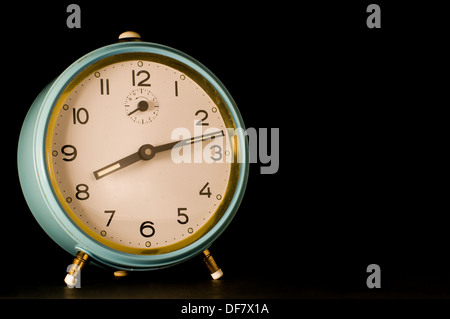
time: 8:12
